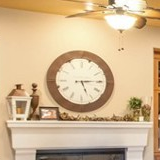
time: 5:14
